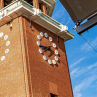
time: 7:43
